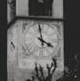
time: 3:58
